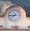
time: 7:44
